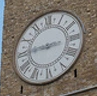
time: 8:45
